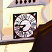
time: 7:45
